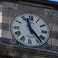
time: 11:23
